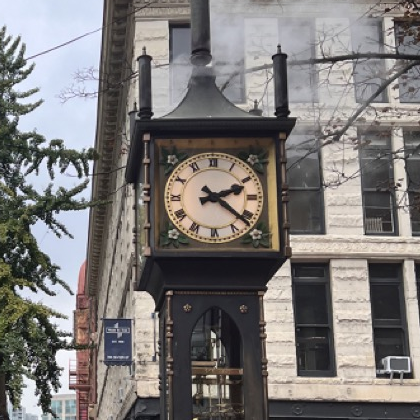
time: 2:21
